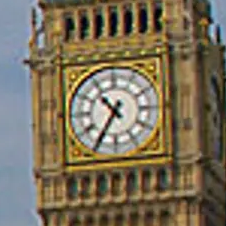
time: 10:35
